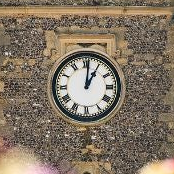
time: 1:00
